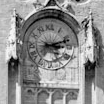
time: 3:12
